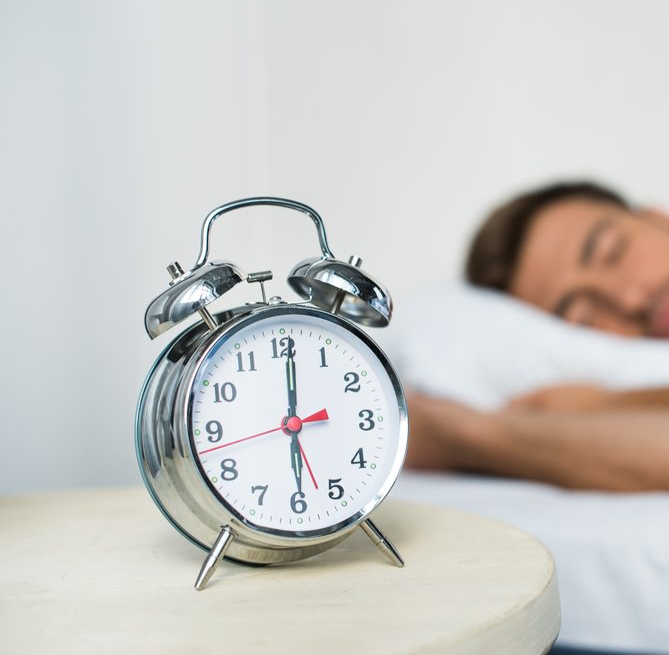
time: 6:00
